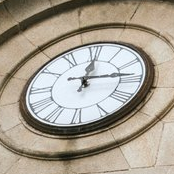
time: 12:14
